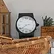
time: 7:38
